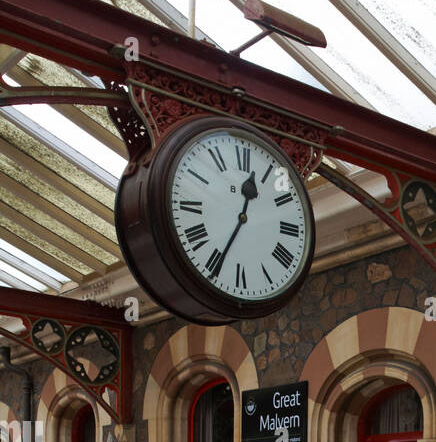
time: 12:34
